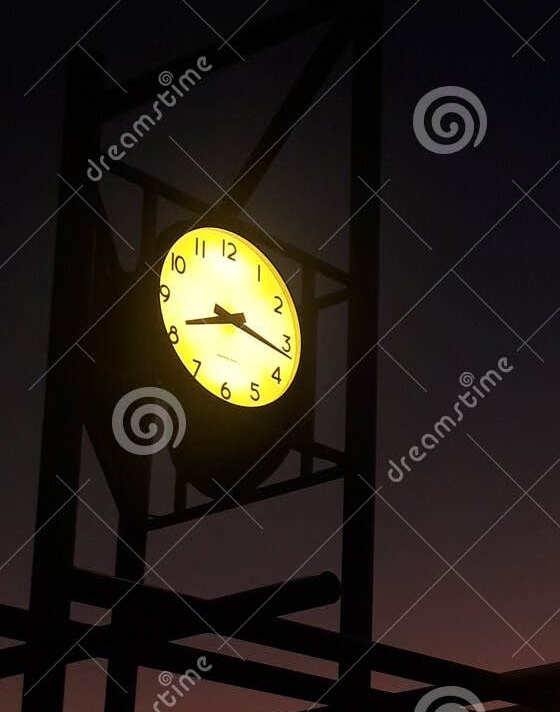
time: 8:16
